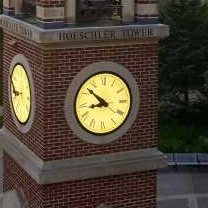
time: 8:52
